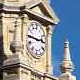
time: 2:45
